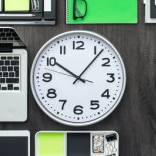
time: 10:06
